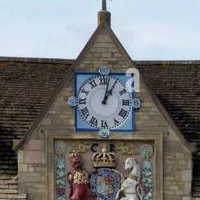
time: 1:02
